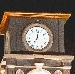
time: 7:01
